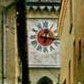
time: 12:16
